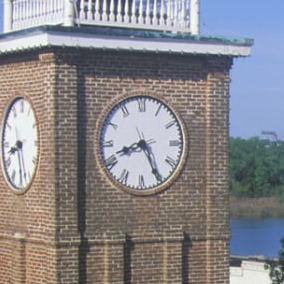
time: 8:25
